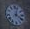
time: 4:02
